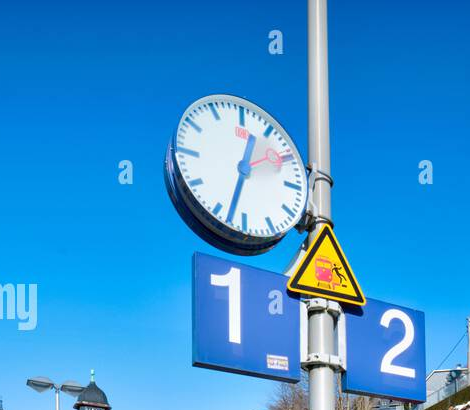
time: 12:32
